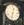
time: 12:32
